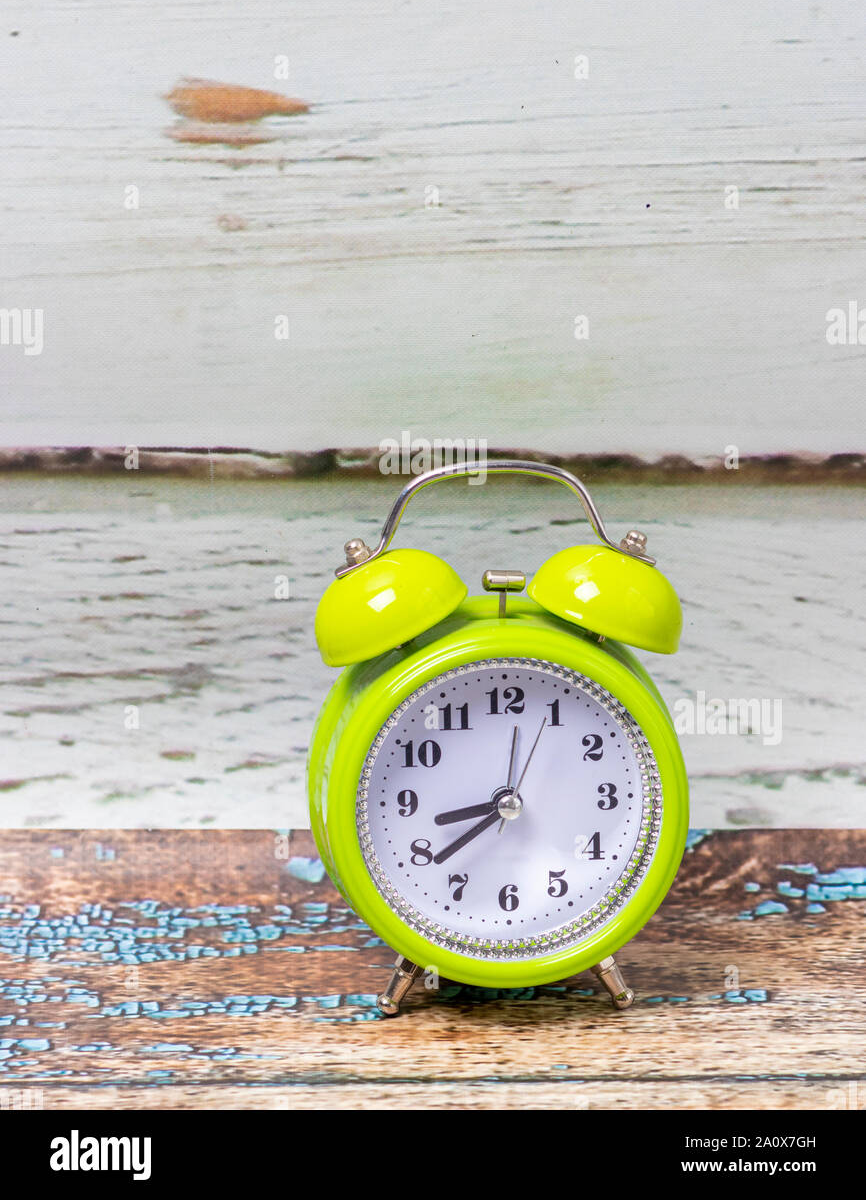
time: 8:38
